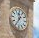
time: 11:35
